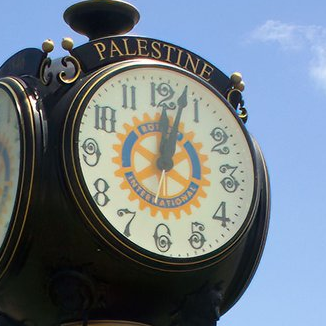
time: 12:03
